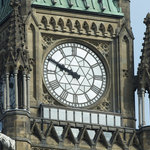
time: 9:49
